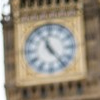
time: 11:23
